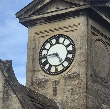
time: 4:44
